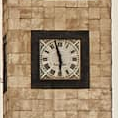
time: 5:57
